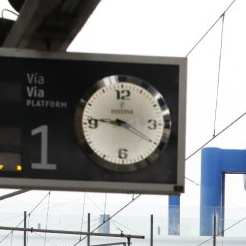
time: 9:20
